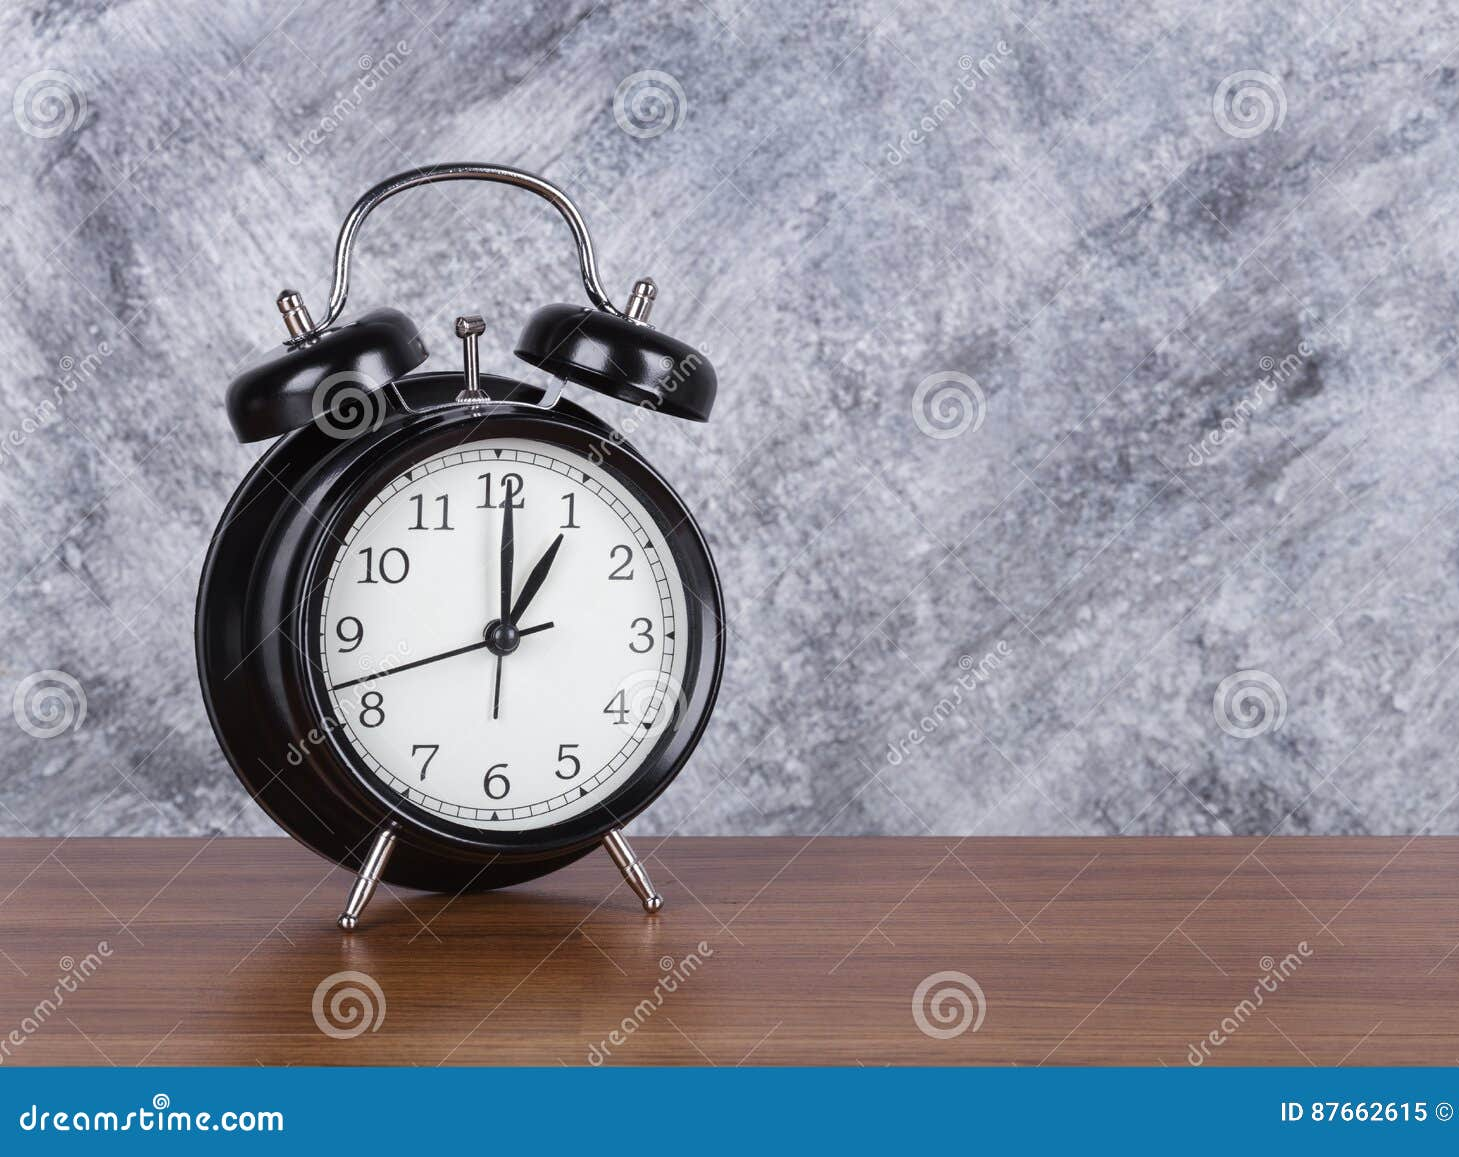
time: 1:00
